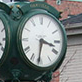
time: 3:31
